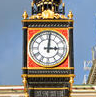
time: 3:01
